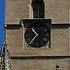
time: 10:36
